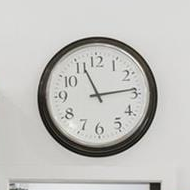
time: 11:13
